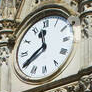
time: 11:40
